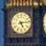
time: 5:13
